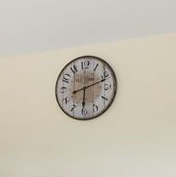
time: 6:11
